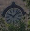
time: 10:07
